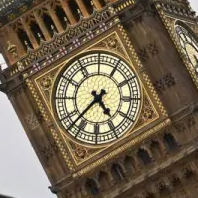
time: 4:37
